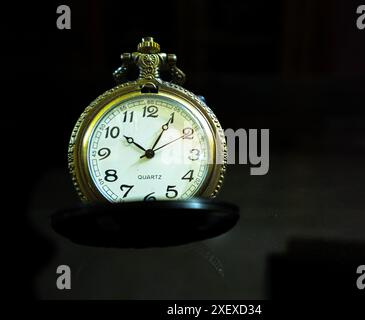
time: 10:04
